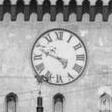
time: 4:48
